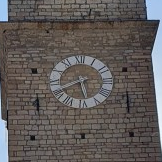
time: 5:41
